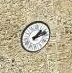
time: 1:12
